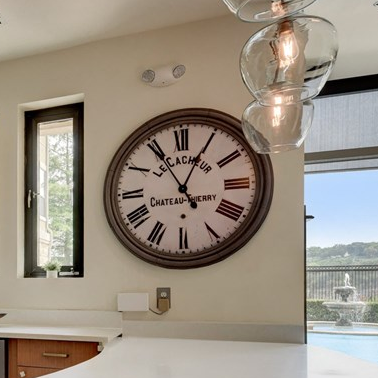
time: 12:54
